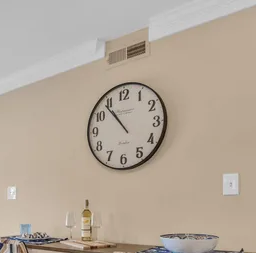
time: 10:53
